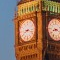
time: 8:17
